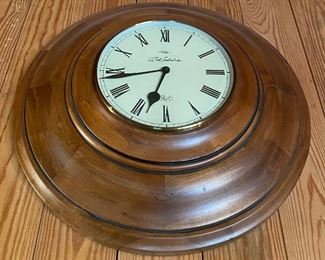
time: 6:43
